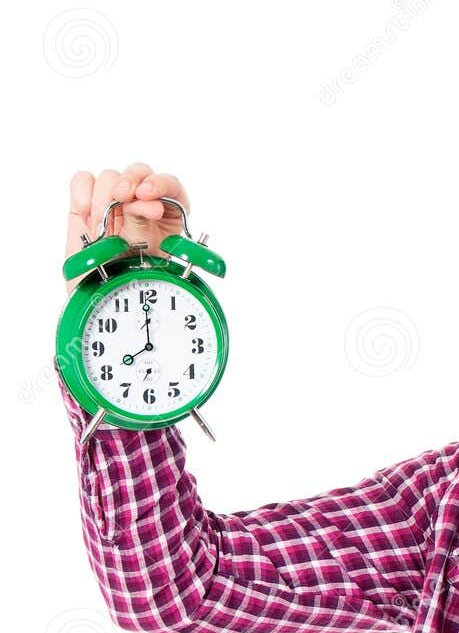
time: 7:59
